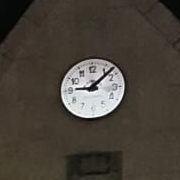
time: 9:07
